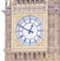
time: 12:49
